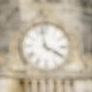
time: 3:58
